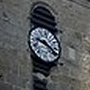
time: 9:20
